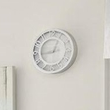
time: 12:43
